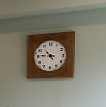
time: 10:46
